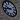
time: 9:43
